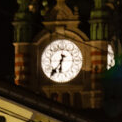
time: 6:36
